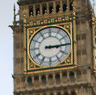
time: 3:14
